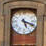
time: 5:18
